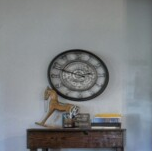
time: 2:48
